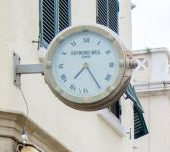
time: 7:24
